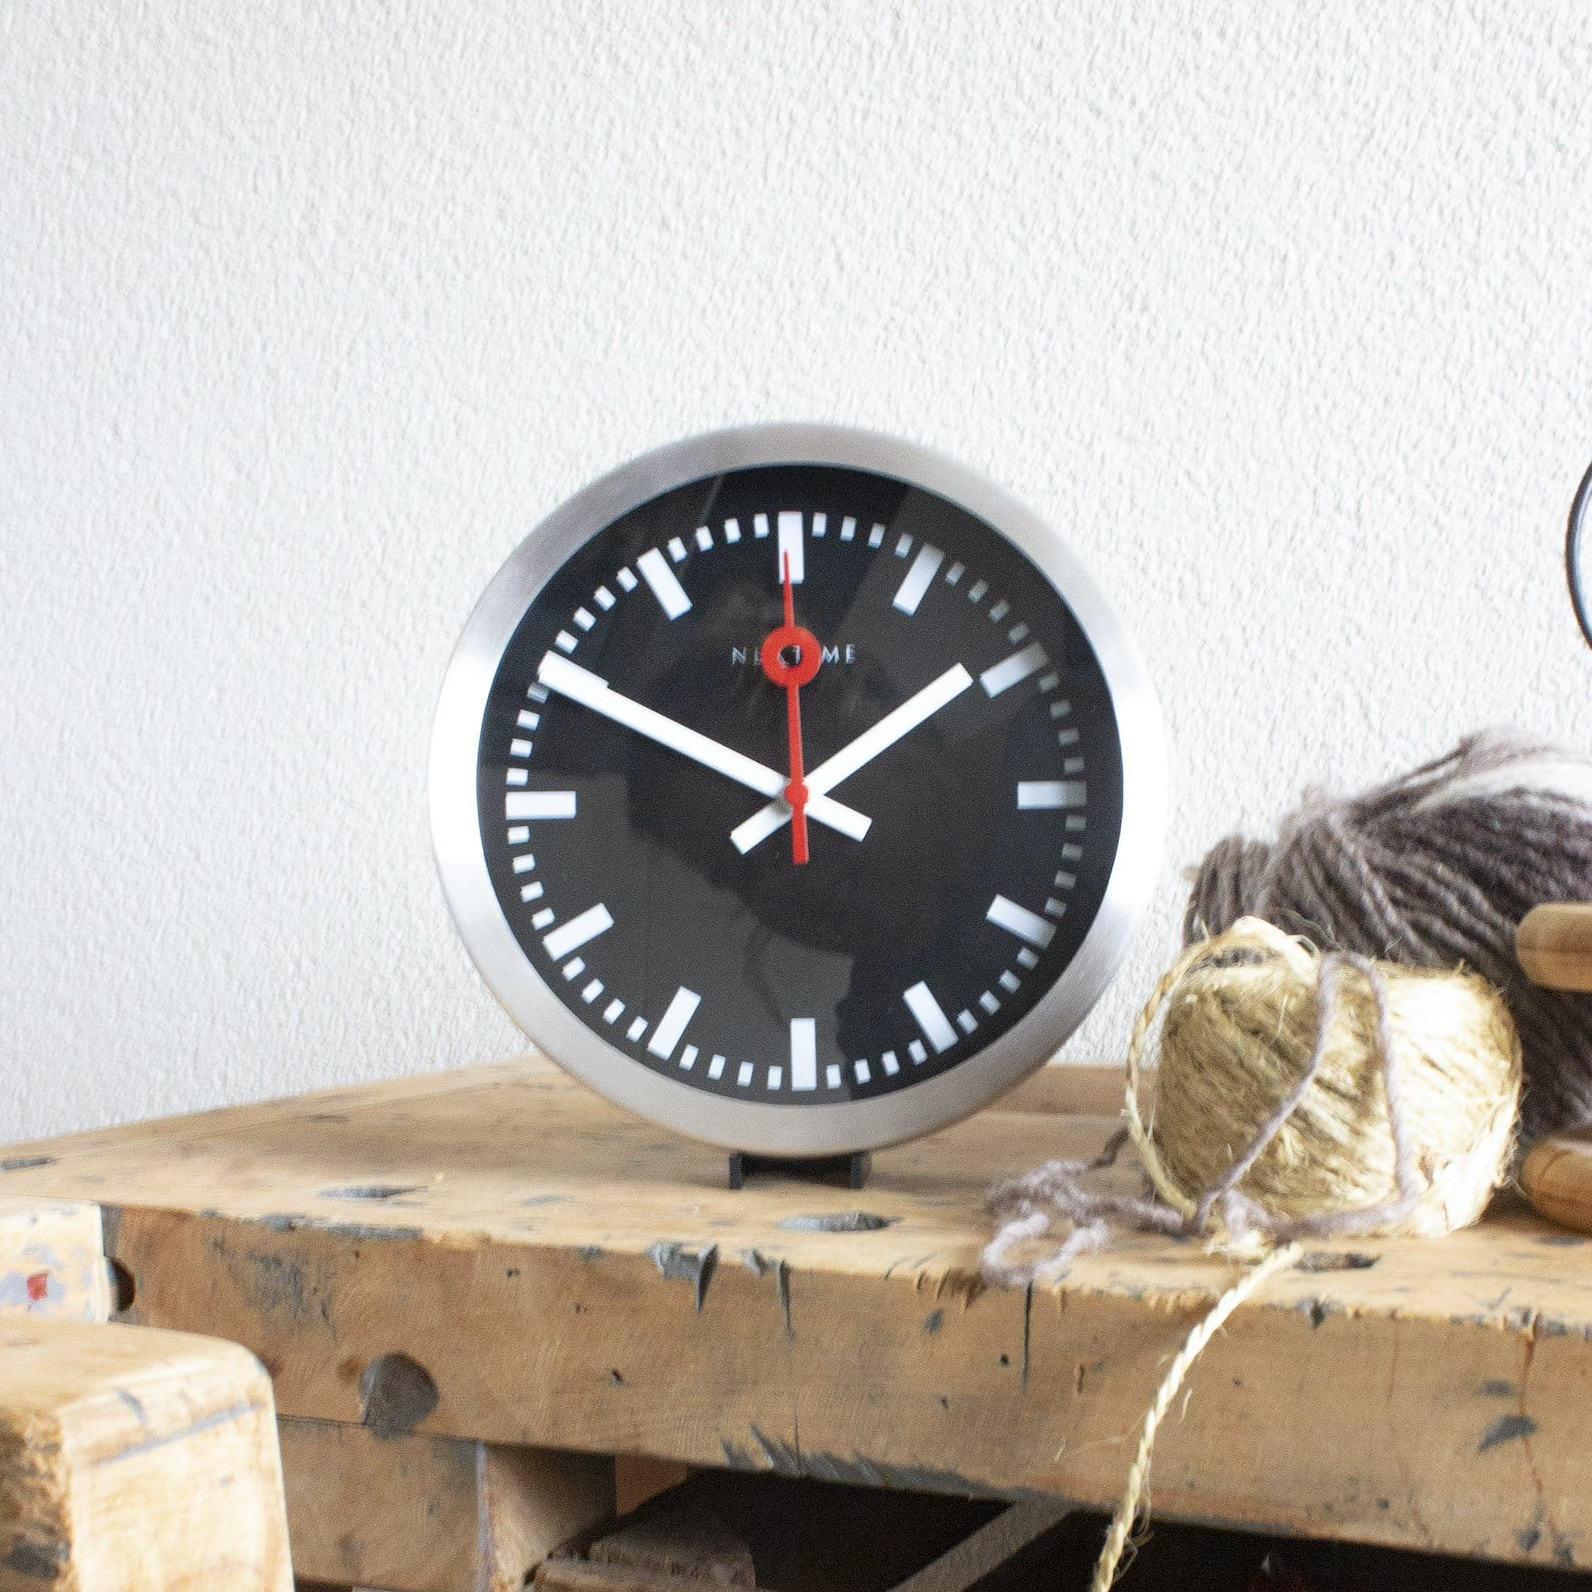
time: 1:49
